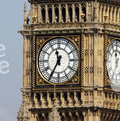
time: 11:35
